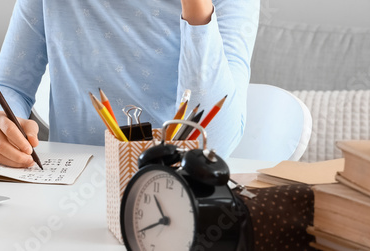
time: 10:40
